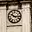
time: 10:15
